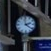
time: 2:21
